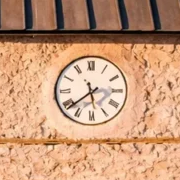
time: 5:38
